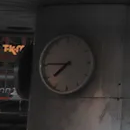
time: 7:45
